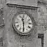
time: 11:30
